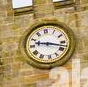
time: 9:17
